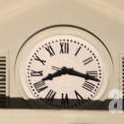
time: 8:17
